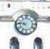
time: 8:46
